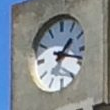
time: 1:18
